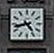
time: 4:42
